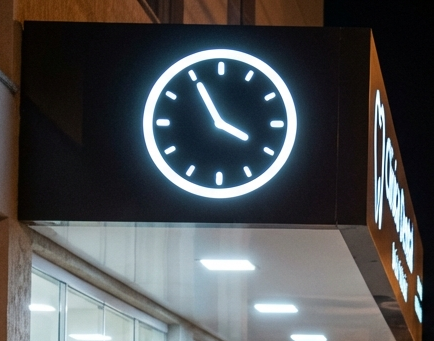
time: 3:55
